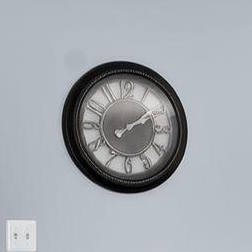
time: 2:09
